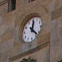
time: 12:22
